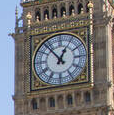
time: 12:53
